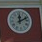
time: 12:11
